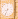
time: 8:34
